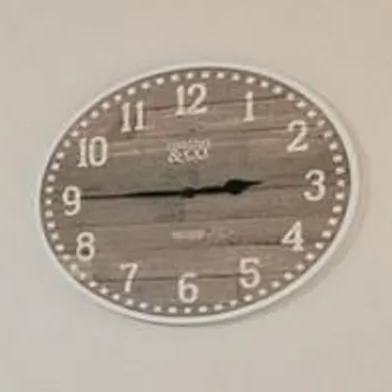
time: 2:45
